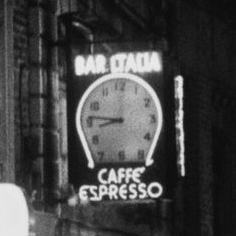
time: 8:46
